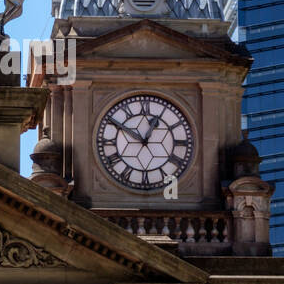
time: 12:50
